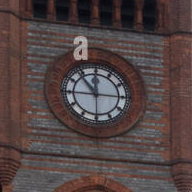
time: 11:53
